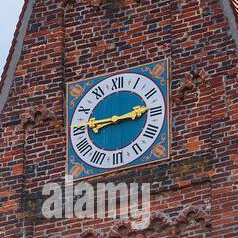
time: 2:45
